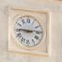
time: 2:45
